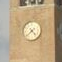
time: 4:38
